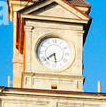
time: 5:38
